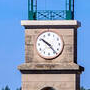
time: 10:23
